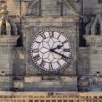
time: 2:18
